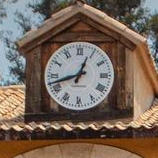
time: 12:42
